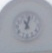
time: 11:02
